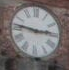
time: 2:46
